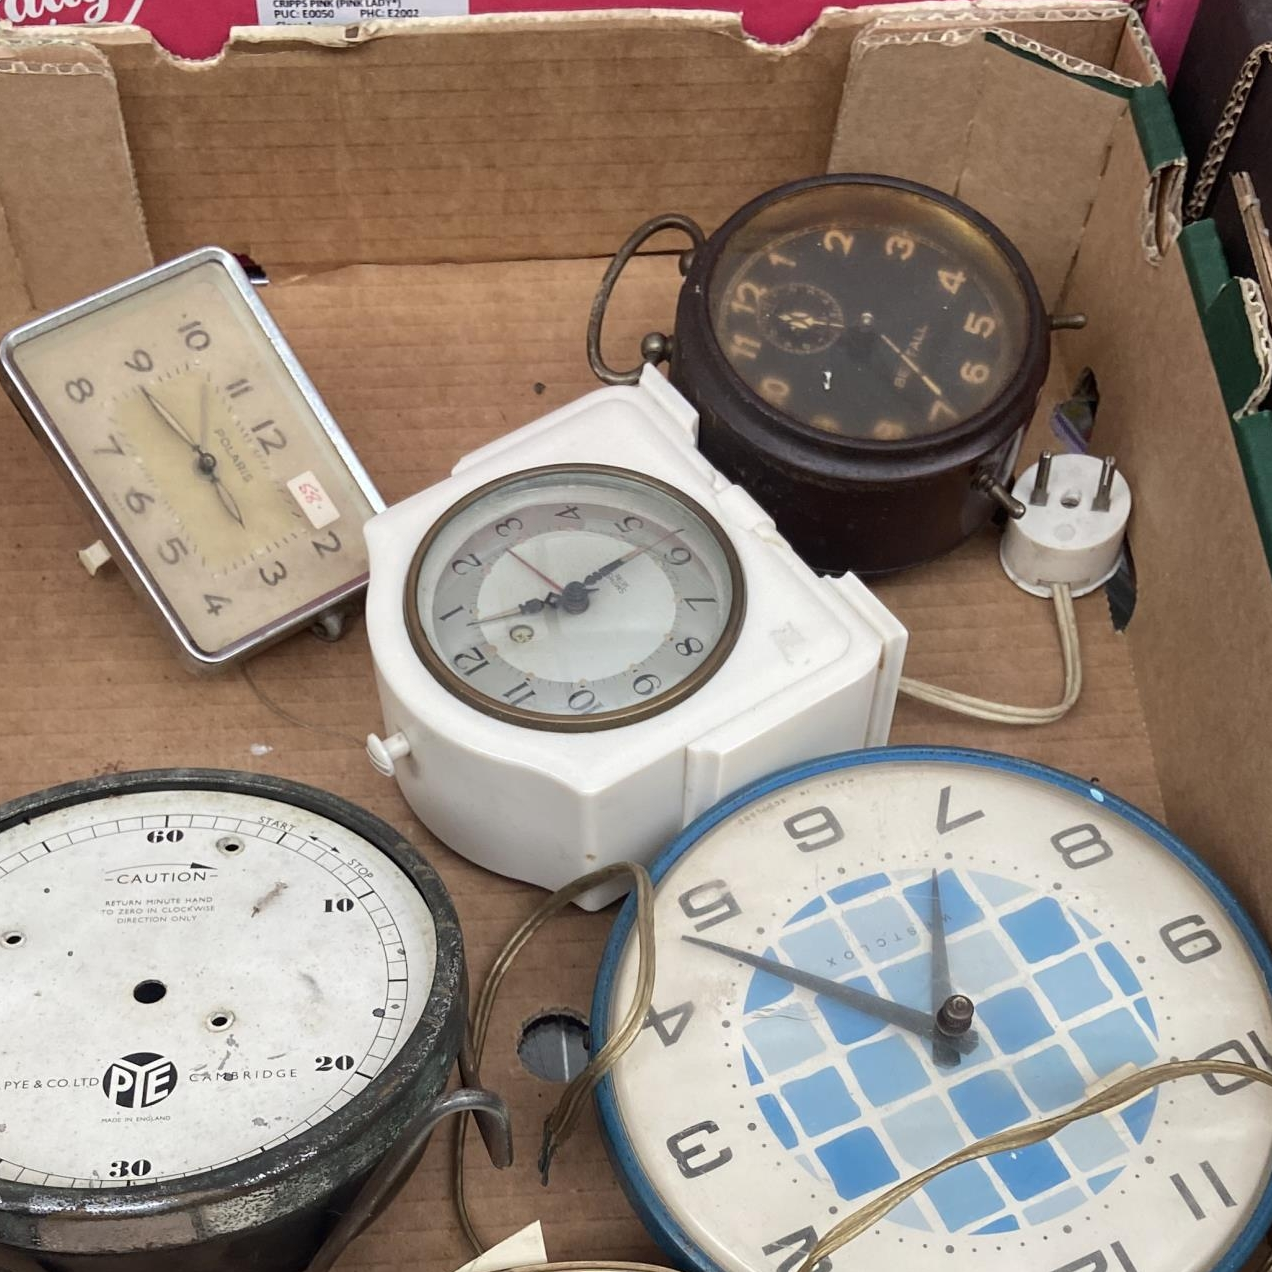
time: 1:42
